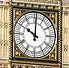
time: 10:00
